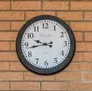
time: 9:43
